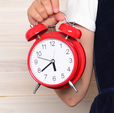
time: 5:38
